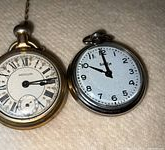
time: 9:59
